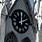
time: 2:00
